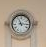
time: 11:15
